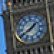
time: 1:39
